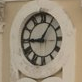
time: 9:05
